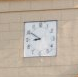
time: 8:50
